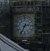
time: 2:34
